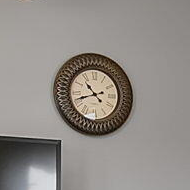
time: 10:41
